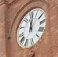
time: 12:02
